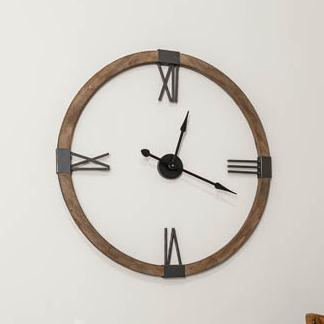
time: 12:18
